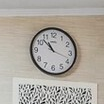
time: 10:52
